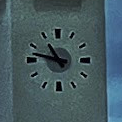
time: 10:47
